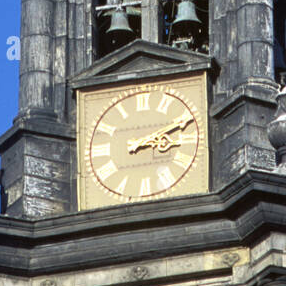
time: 3:11
